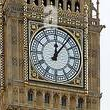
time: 12:06
